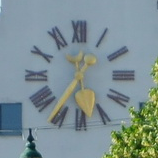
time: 12:36
